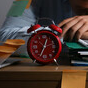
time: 12:34
